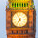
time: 6:56
